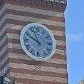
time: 9:57
